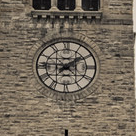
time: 1:46
